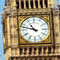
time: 10:47
